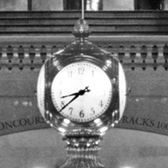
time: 8:38
